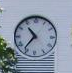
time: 10:36
